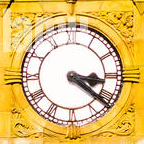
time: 3:21
